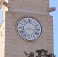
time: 3:40
